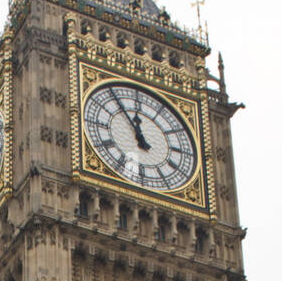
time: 11:54
